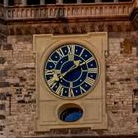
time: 1:37
